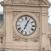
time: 7:04
